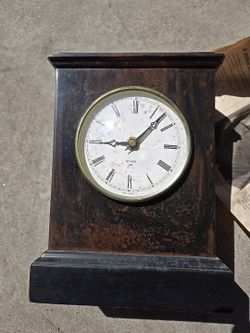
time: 9:07
